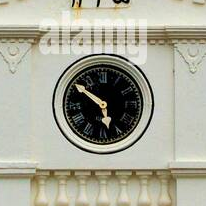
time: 5:51
